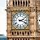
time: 2:18
